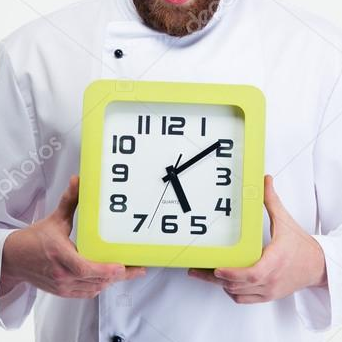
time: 5:08
